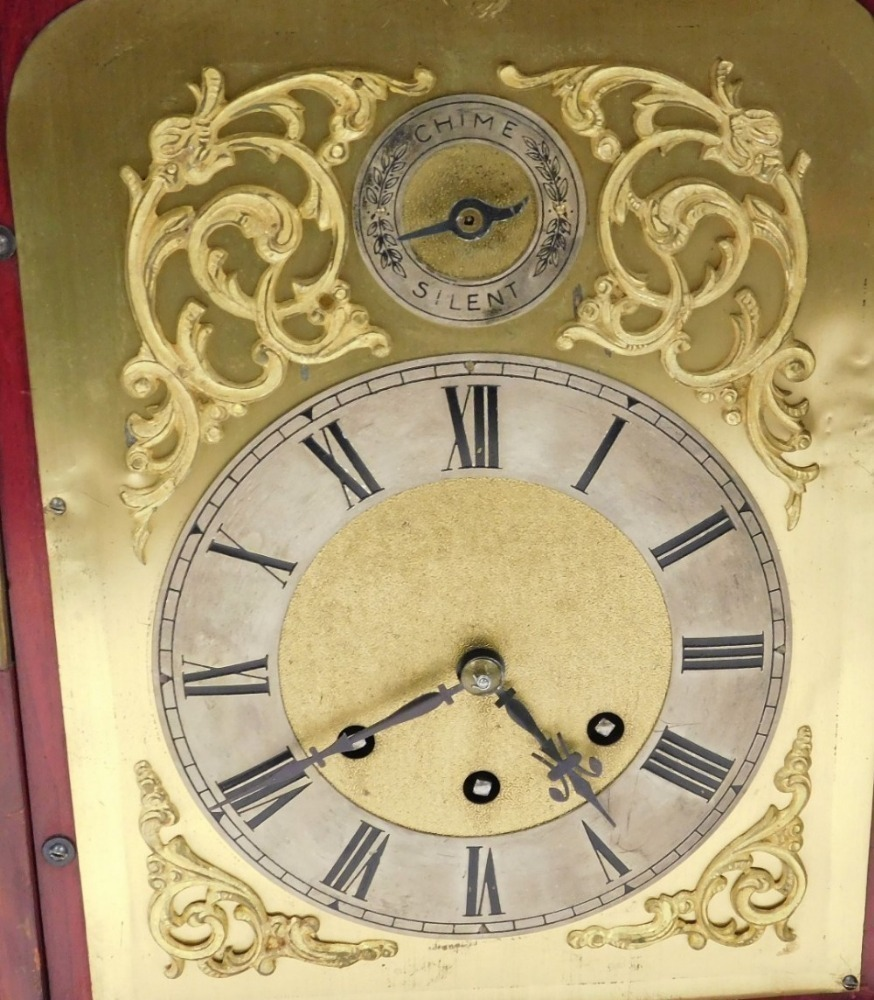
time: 4:40
